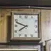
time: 7:48
